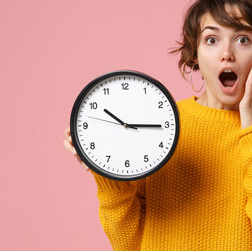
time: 10:15
